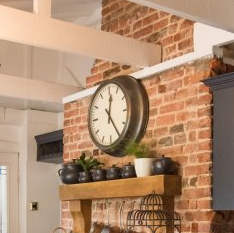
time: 12:23
